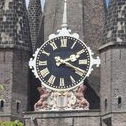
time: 2:18
